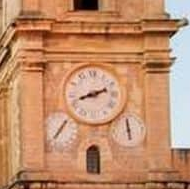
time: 8:11
